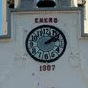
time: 2:08
